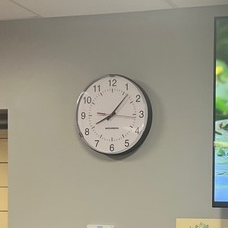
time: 8:06
